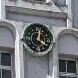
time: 4:01
